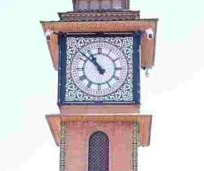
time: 10:52
